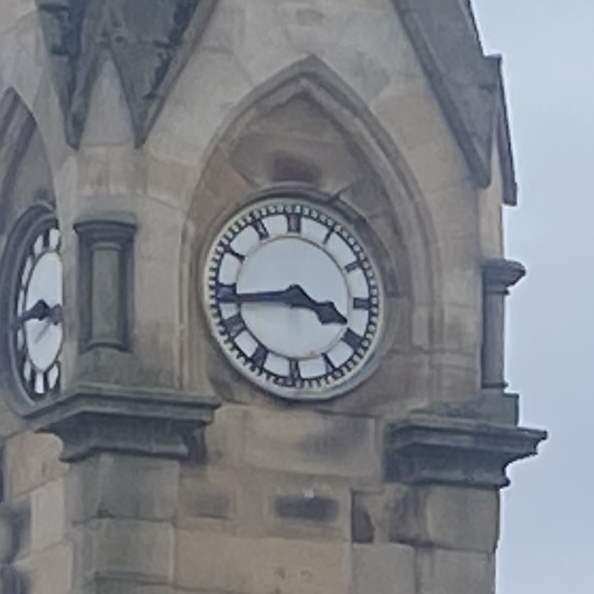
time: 3:43
